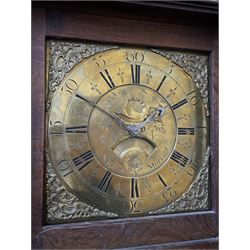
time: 3:49
